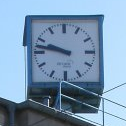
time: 9:47
